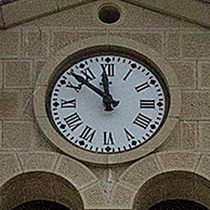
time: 11:51
